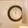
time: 12:28
